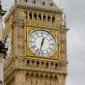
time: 12:32
